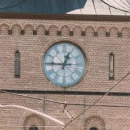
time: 12:45
